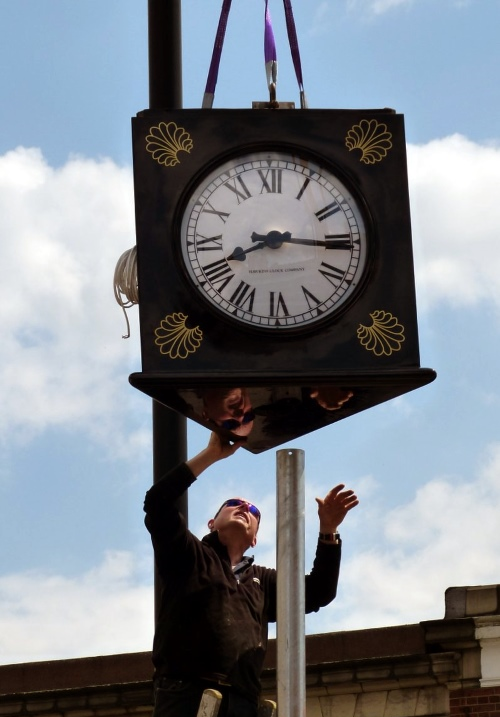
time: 8:15
